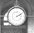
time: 2:09
